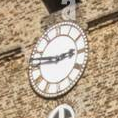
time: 2:46
